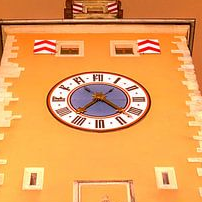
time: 7:22
